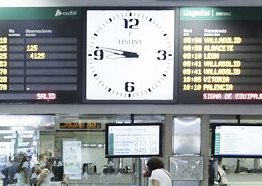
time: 8:46
